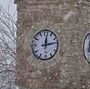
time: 12:13
